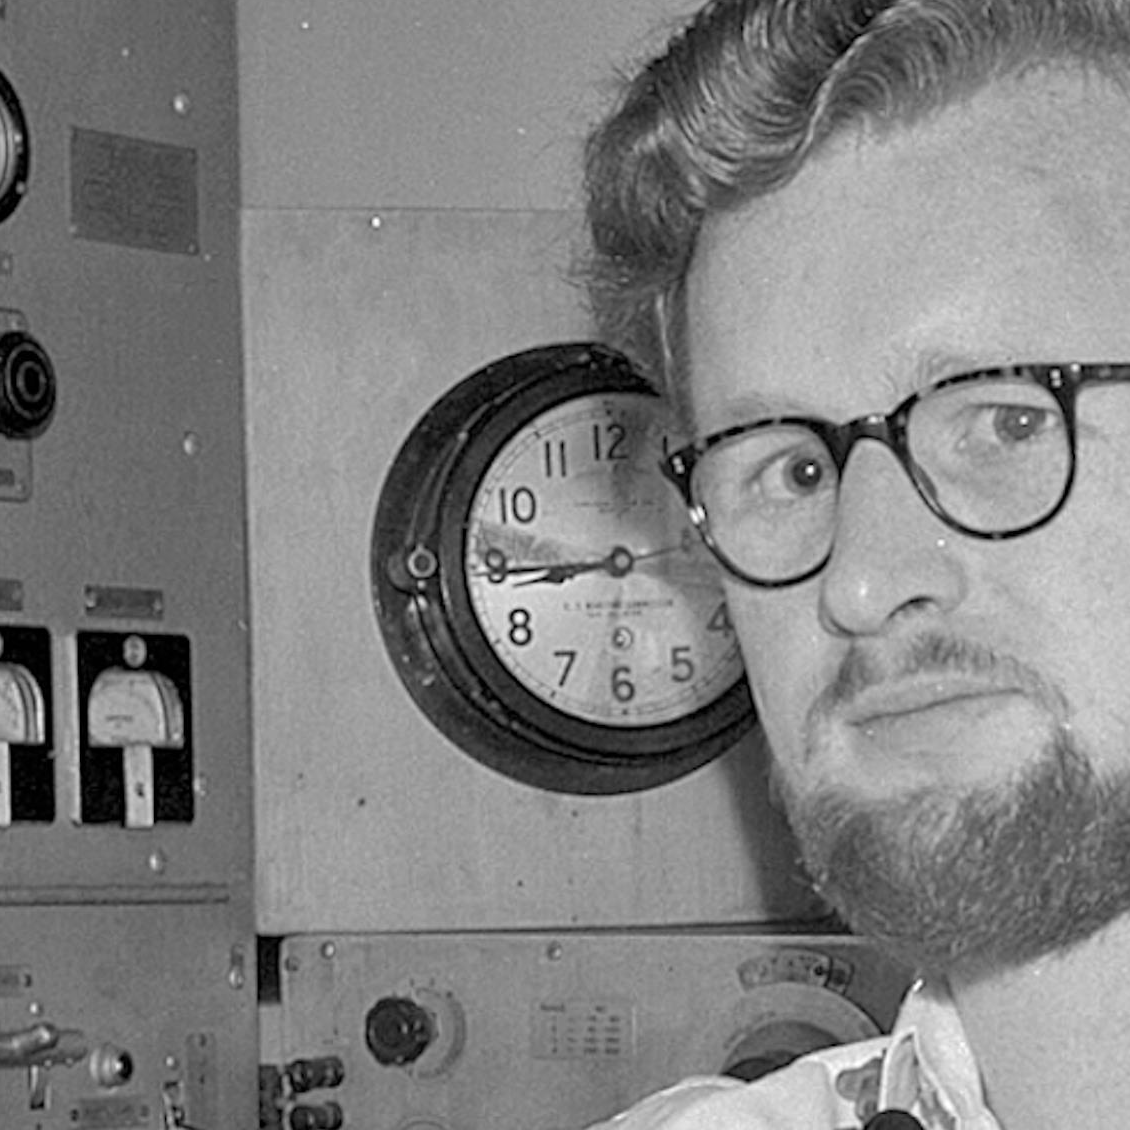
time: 8:44
